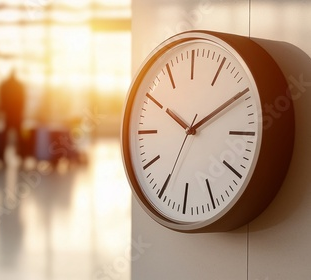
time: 10:10
